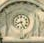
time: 8:26
